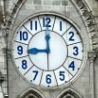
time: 8:59
